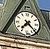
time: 7:22
